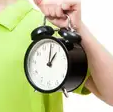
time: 1:00
